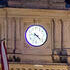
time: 4:22
